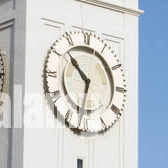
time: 10:32
